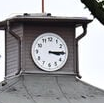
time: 3:14
